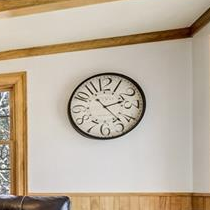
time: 2:23
